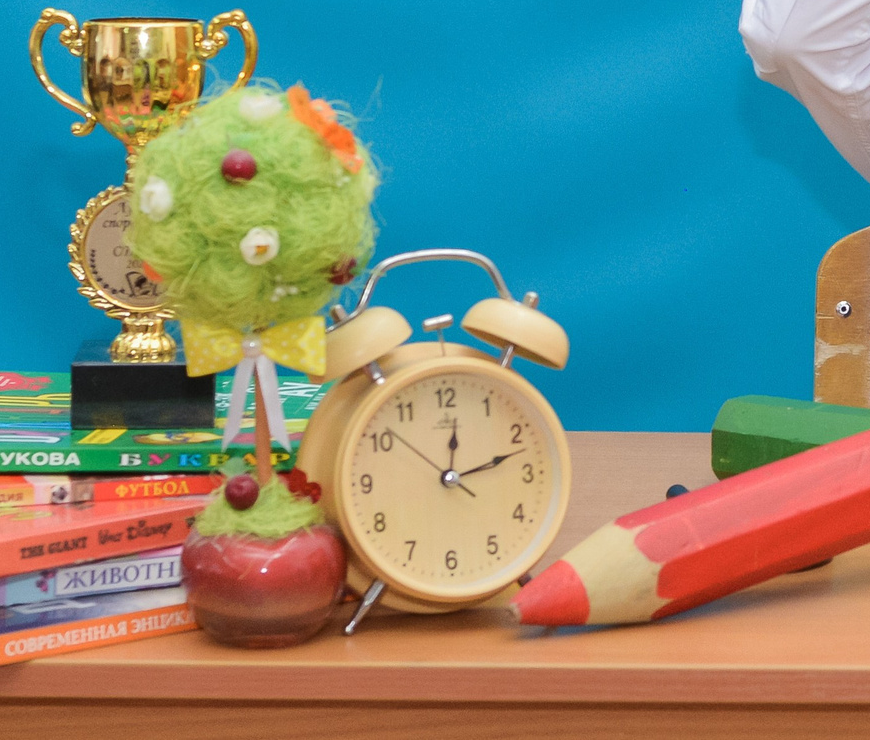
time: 12:12
